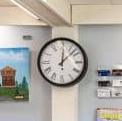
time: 12:07
